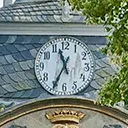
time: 11:34
